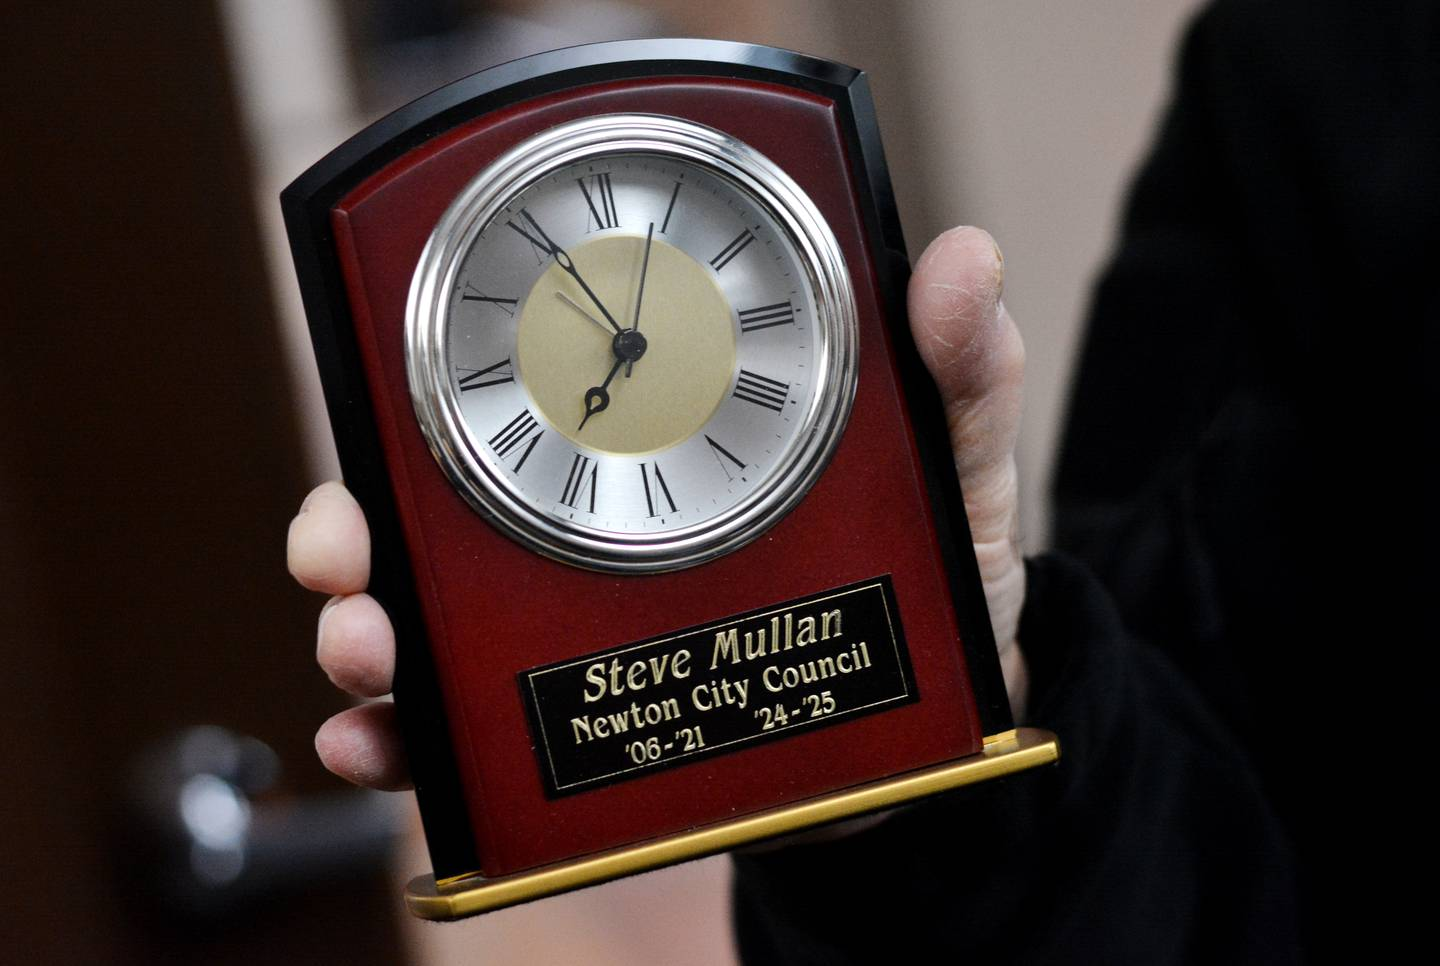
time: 6:55
